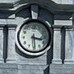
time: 3:29
